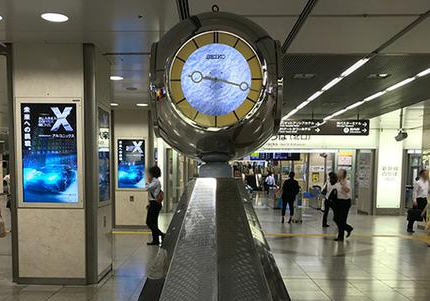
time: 9:17
